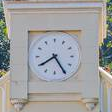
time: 7:24
